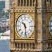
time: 10:28
